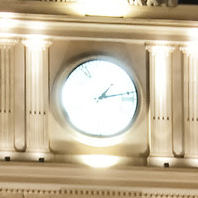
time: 1:13
